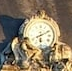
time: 6:10
